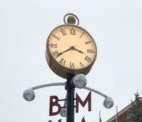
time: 3:39
